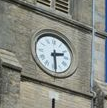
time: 2:29
